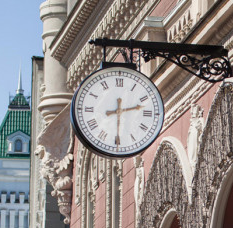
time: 2:29
